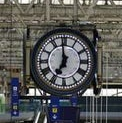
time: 6:59
